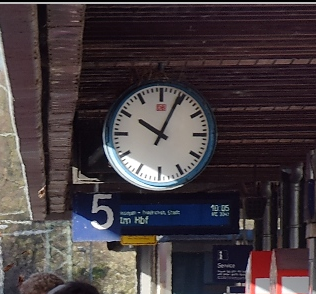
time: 10:04
